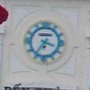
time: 3:36
